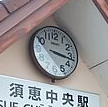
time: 3:16
